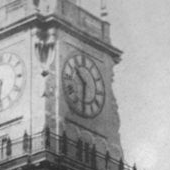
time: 10:31
